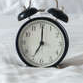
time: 7:00
